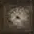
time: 7:22
